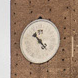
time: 10:22
